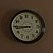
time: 8:45
